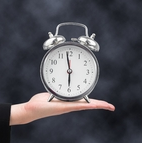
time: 5:58
